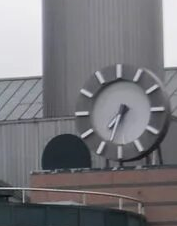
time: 7:33
